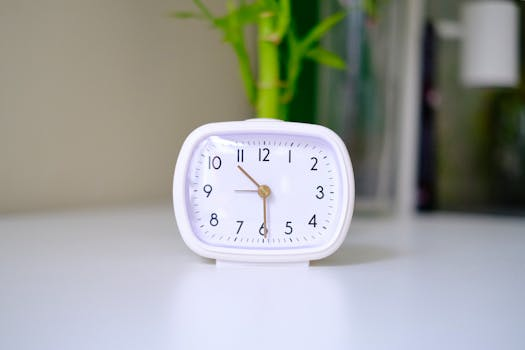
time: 10:29
